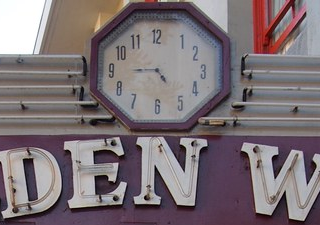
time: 4:44
